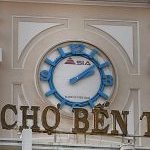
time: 2:08
